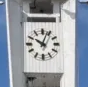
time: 10:03
